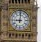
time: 9:01
